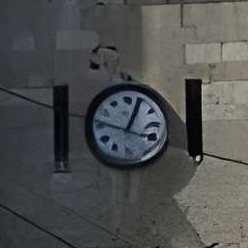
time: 12:47
